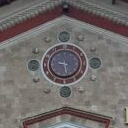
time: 9:28
